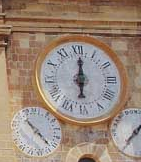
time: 6:00
